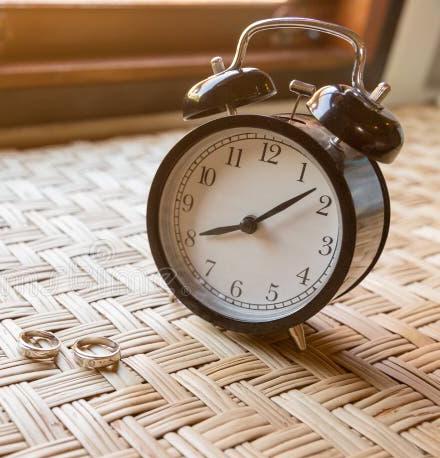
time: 8:08
